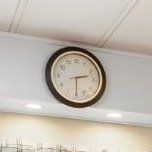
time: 2:29
